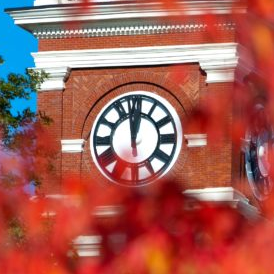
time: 11:57
